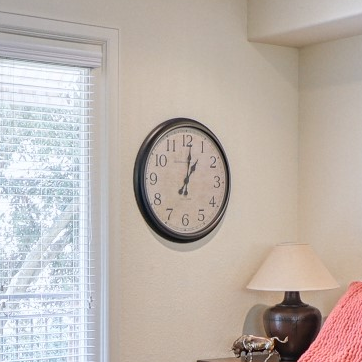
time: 1:01
